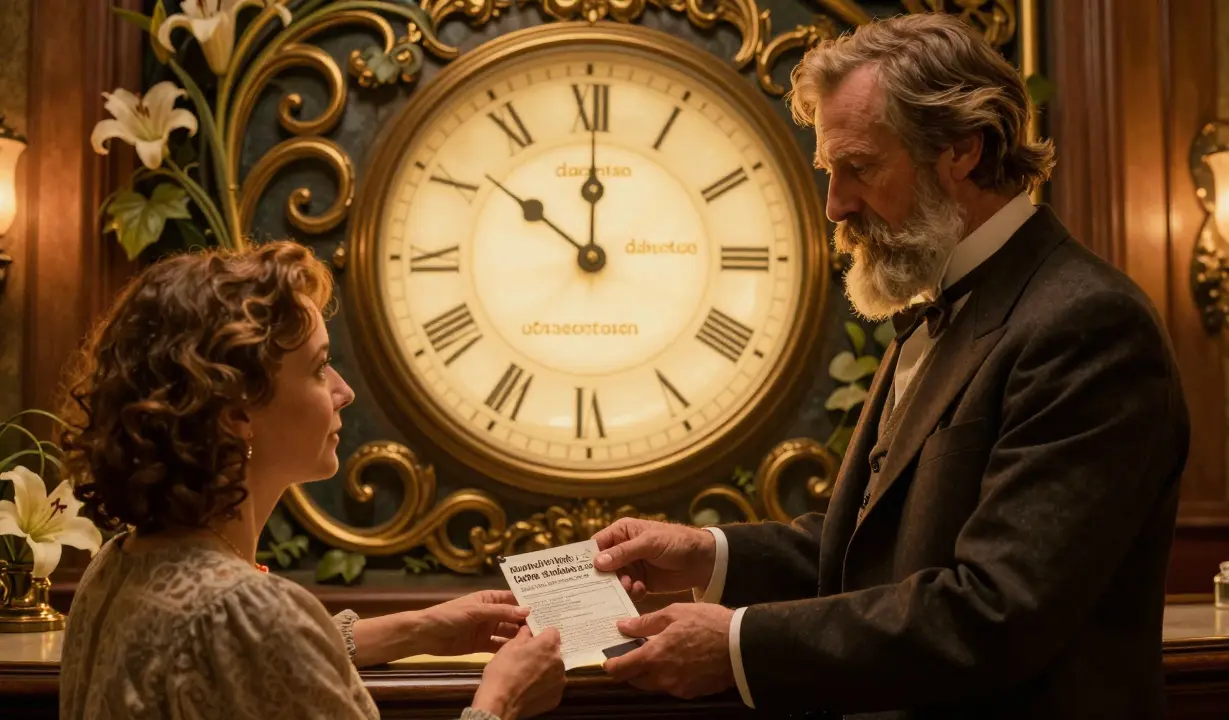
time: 10:14
